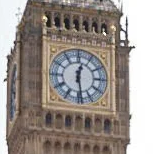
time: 12:28
